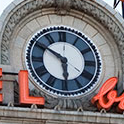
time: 5:50
